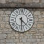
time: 4:29
